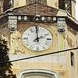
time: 1:59
